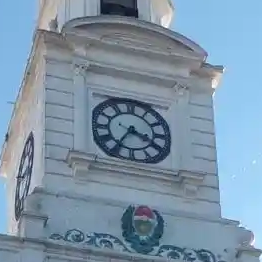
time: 3:35
